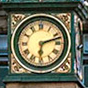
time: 6:12
